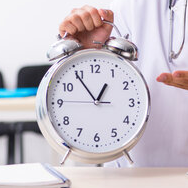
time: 12:54
